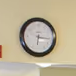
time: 6:16
